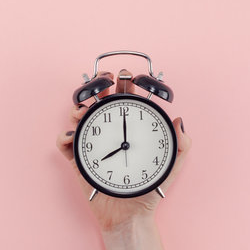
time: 8:00
